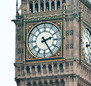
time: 2:24
